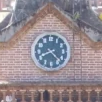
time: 8:22
